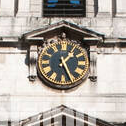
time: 1:26
